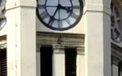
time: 3:35
